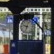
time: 9:33
